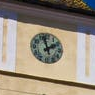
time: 1:57
